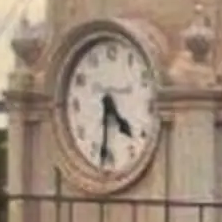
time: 4:31
